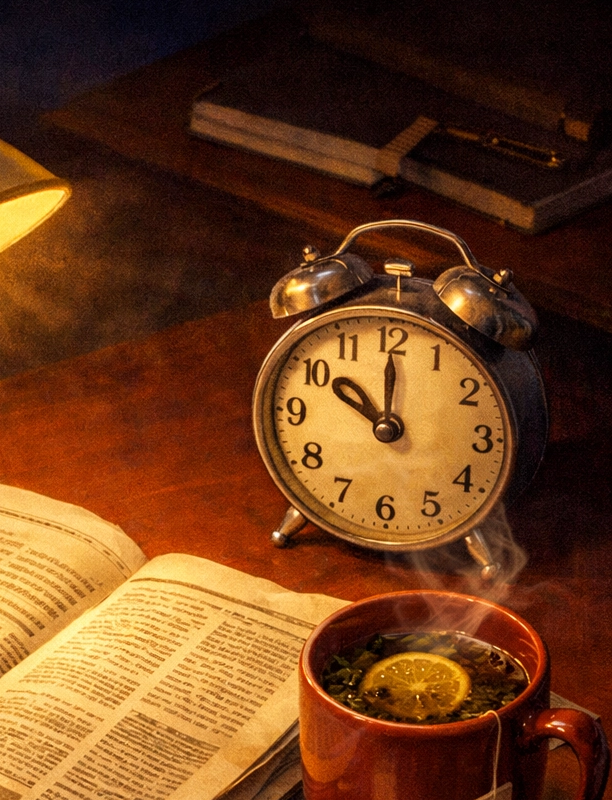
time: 10:00
